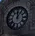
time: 12:05
